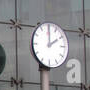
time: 2:00
